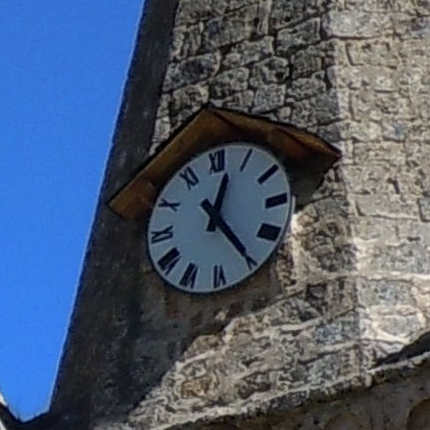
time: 12:24
